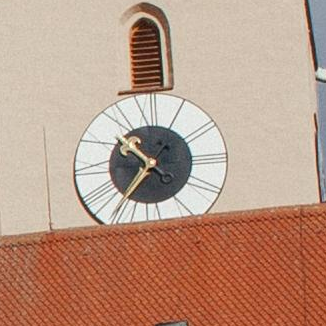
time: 10:36
